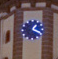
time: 1:18
